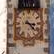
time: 3:22
